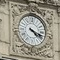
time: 4:18
